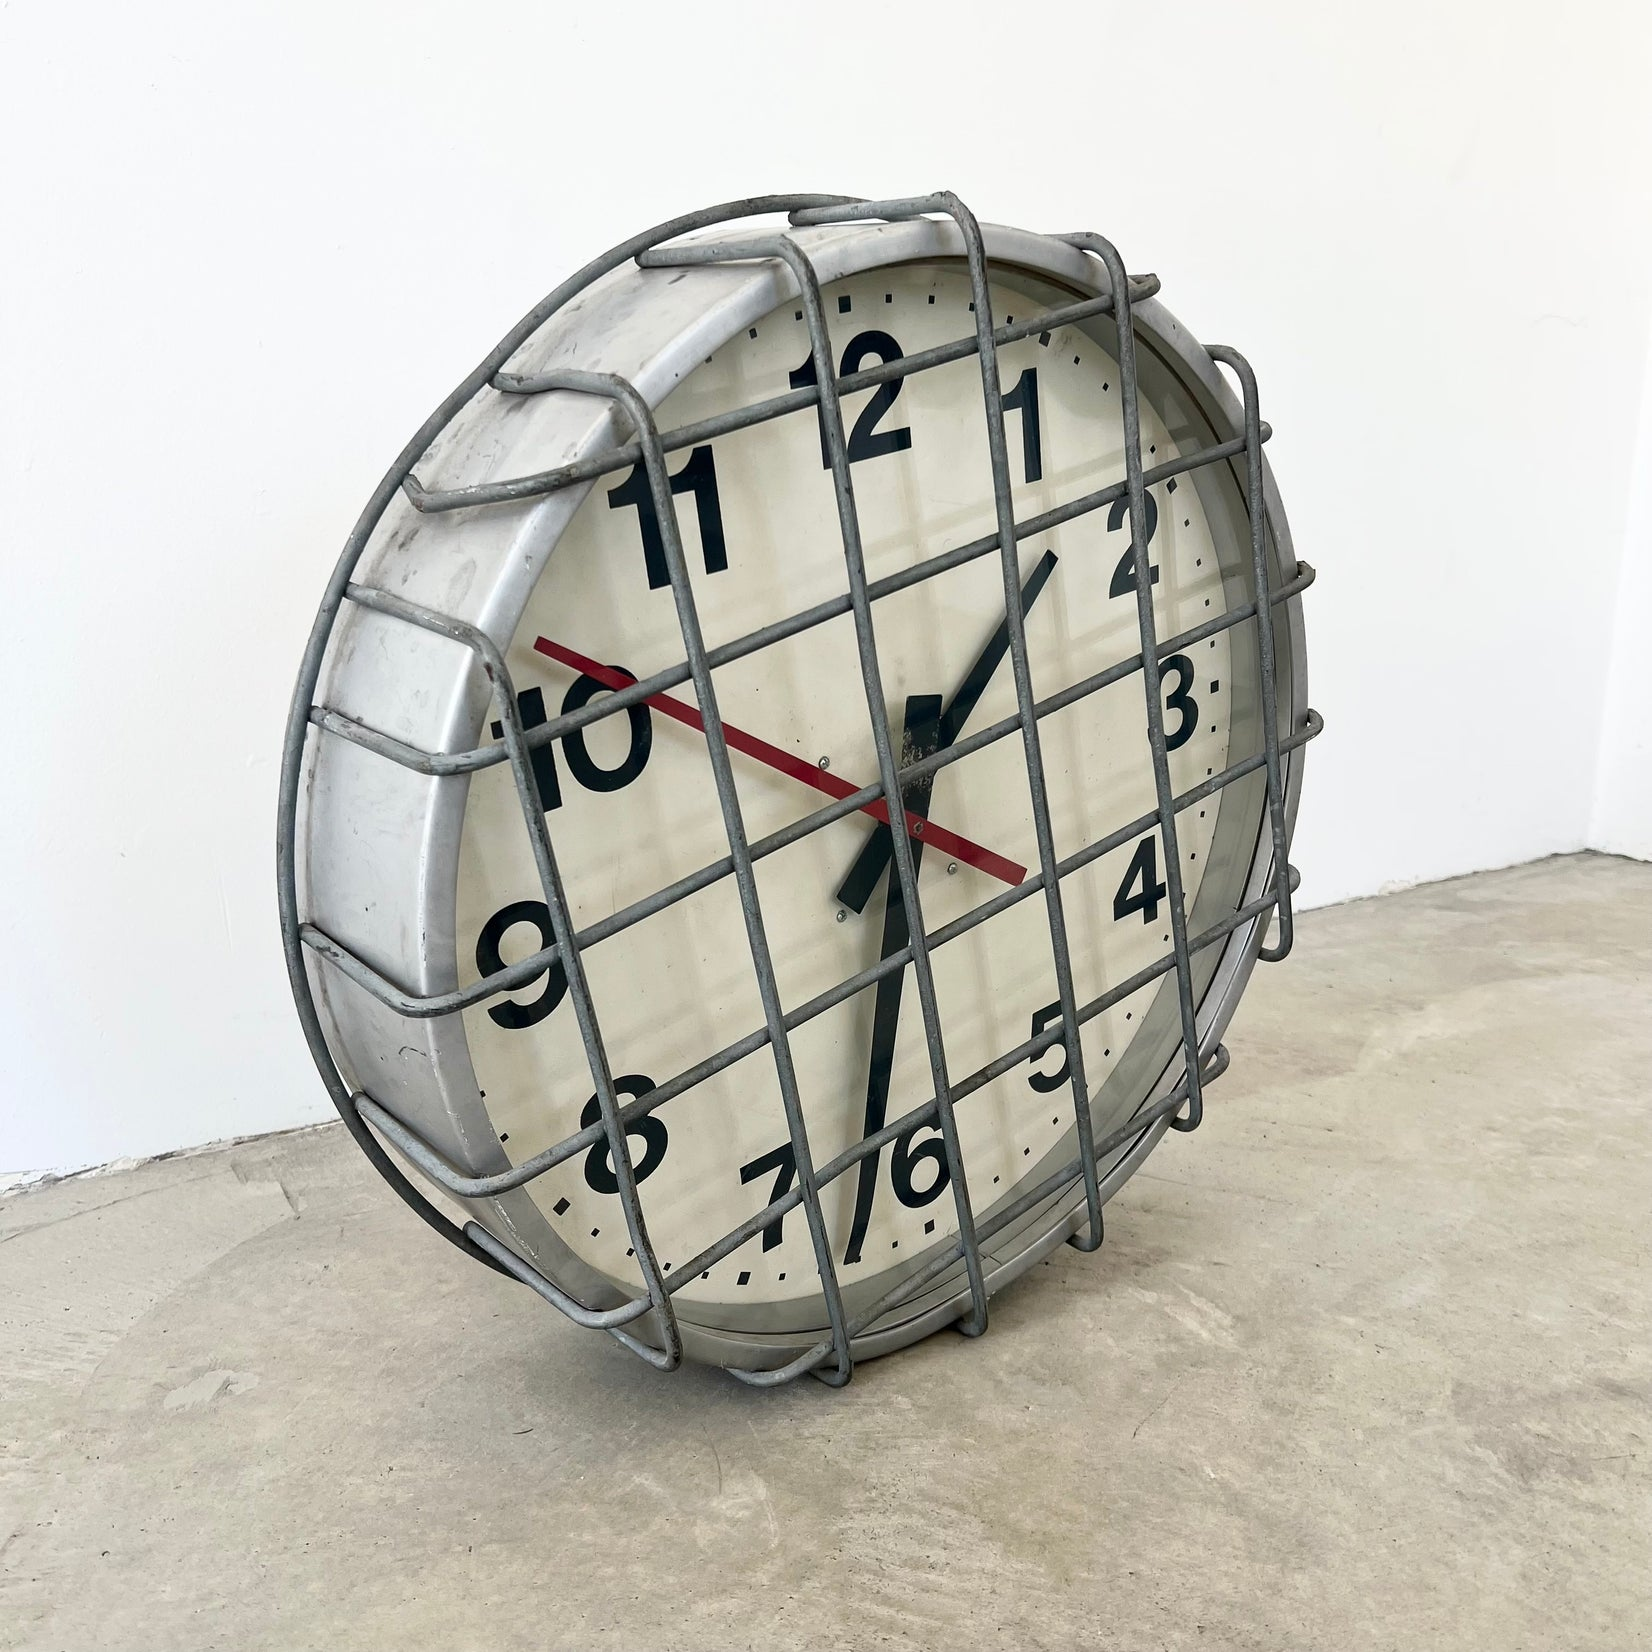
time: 1:32
